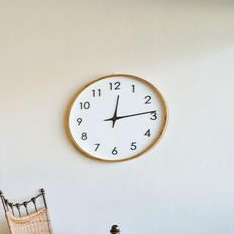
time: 12:13
